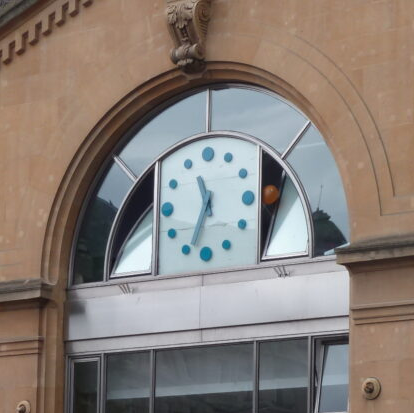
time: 11:33
